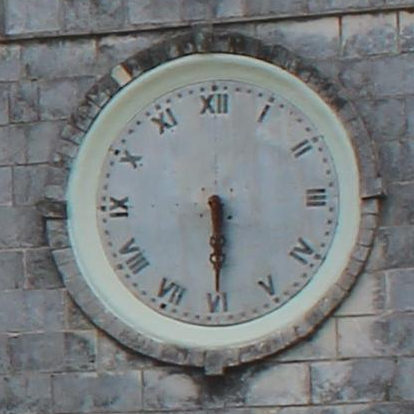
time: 5:29
